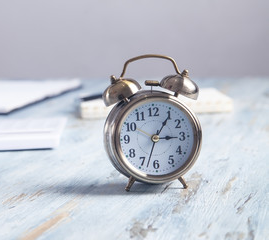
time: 3:05
